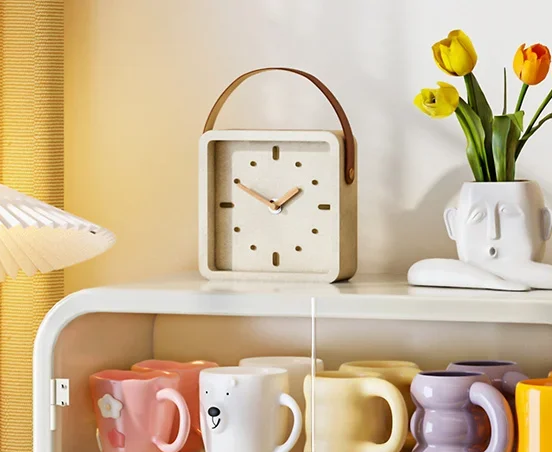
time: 1:49
